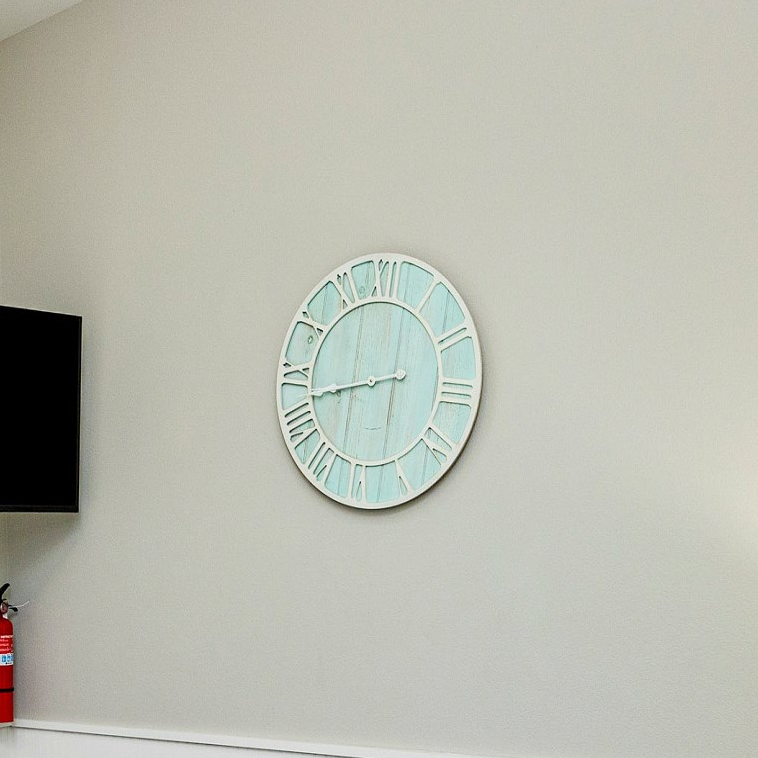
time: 8:42
